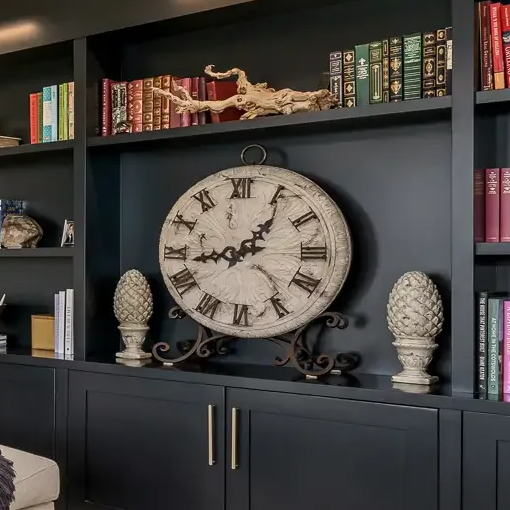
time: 1:43
